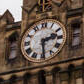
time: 2:29
